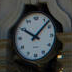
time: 10:07
